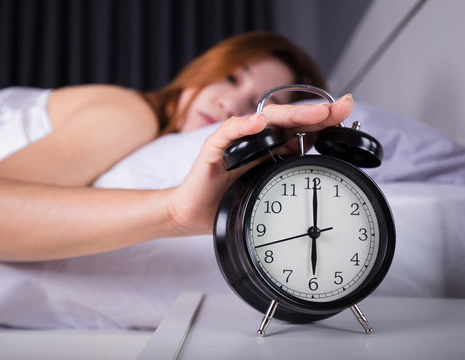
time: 6:00
